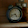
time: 4:42
